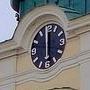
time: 11:59
